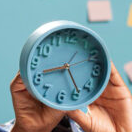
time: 8:23
